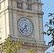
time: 5:36
